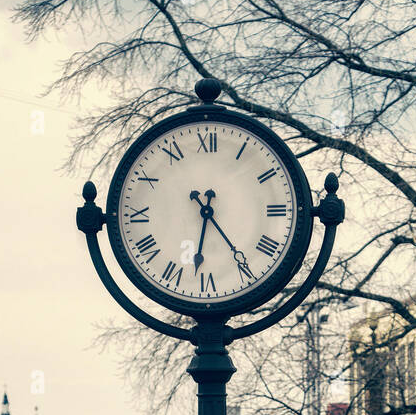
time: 6:24
